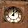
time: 12:07
